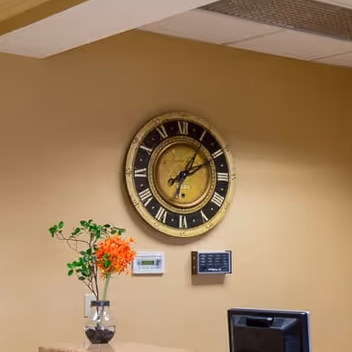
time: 1:10
